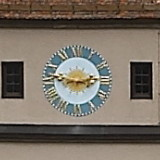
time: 2:46
